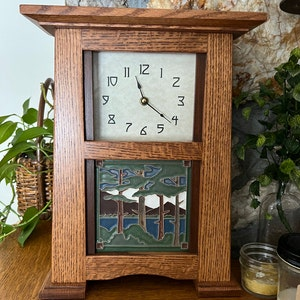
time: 11:21
